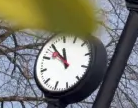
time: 11:54
